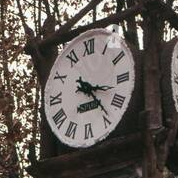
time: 3:23
